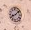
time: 8:08
